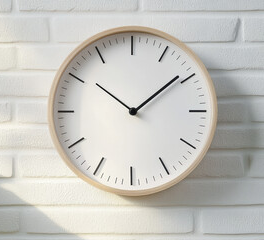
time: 10:09
